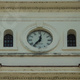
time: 12:36
